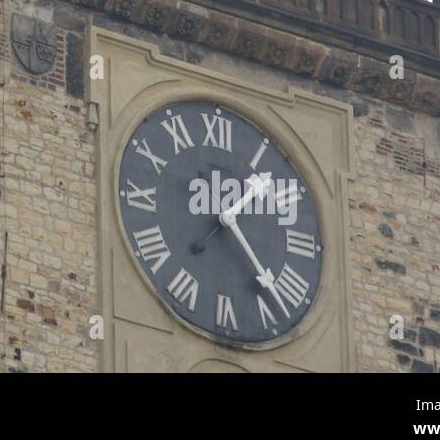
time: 1:22
